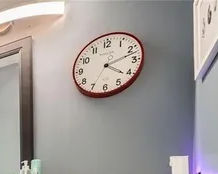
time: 4:12
